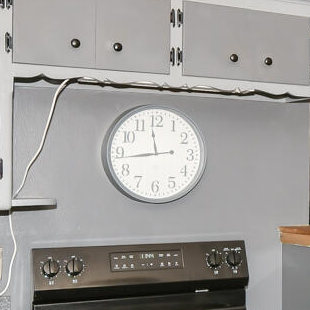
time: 11:43
